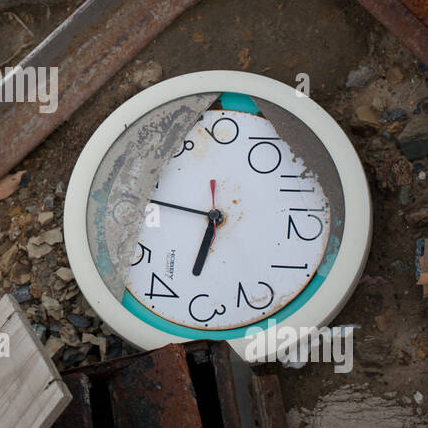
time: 6:47
